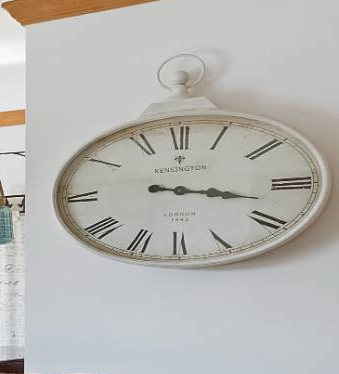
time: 3:17
